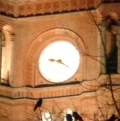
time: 9:21
